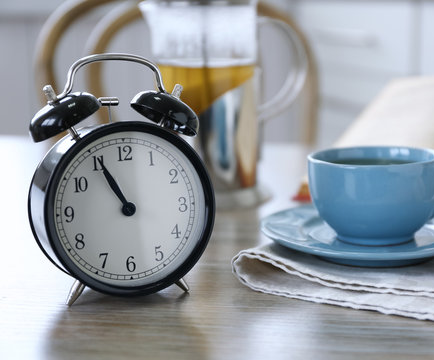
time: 10:55
